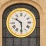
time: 10:29
